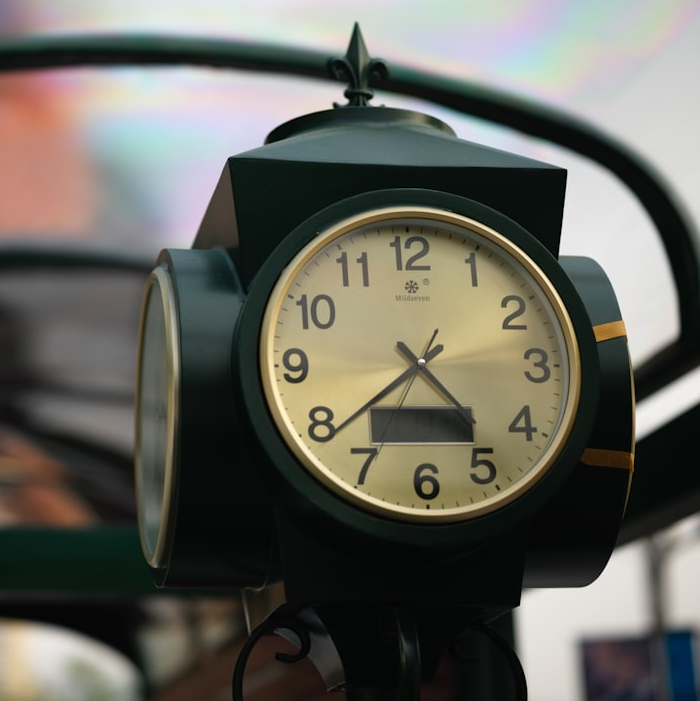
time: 4:38
